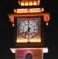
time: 6:59
